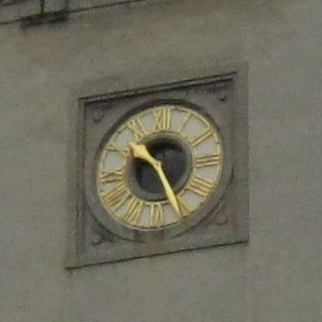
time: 10:25
